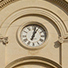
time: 1:02
